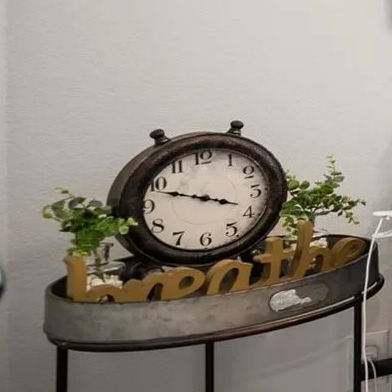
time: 3:48
